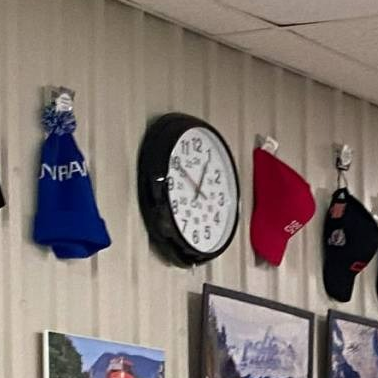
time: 12:49
